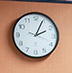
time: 2:04
